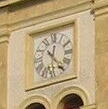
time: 12:23
